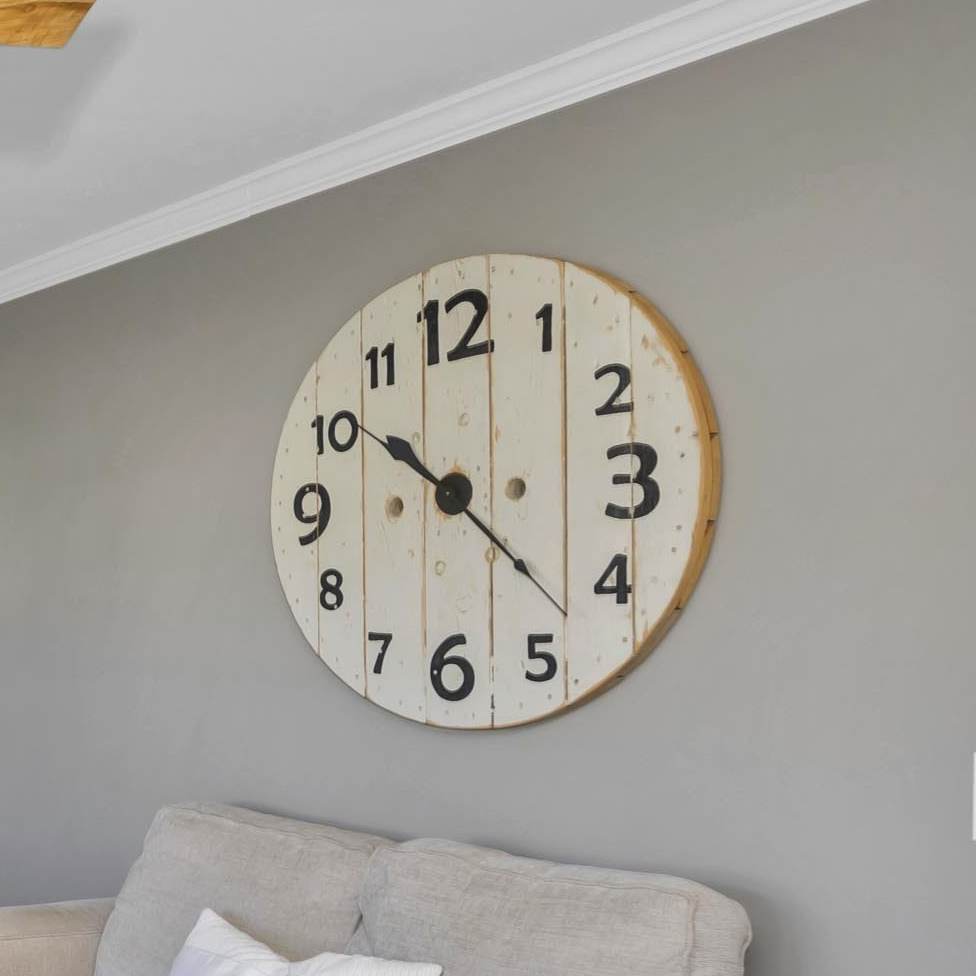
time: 10:22
